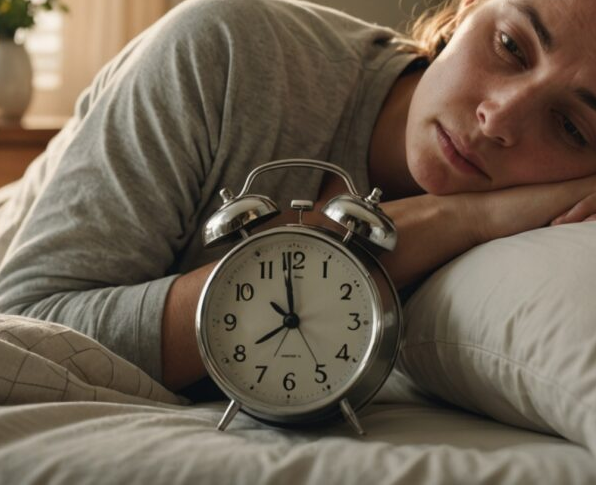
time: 7:59
